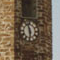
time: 5:57
